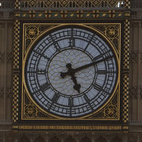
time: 5:11
